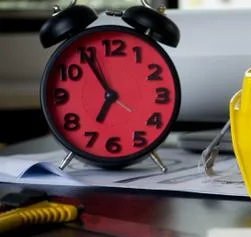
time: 6:54
